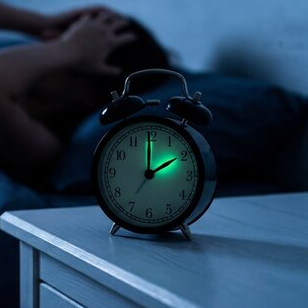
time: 2:00
